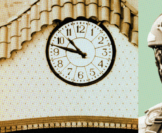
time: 10:47
